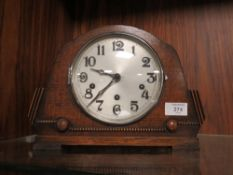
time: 9:37
